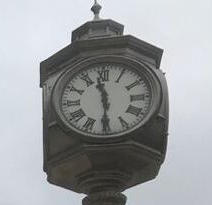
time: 11:30
